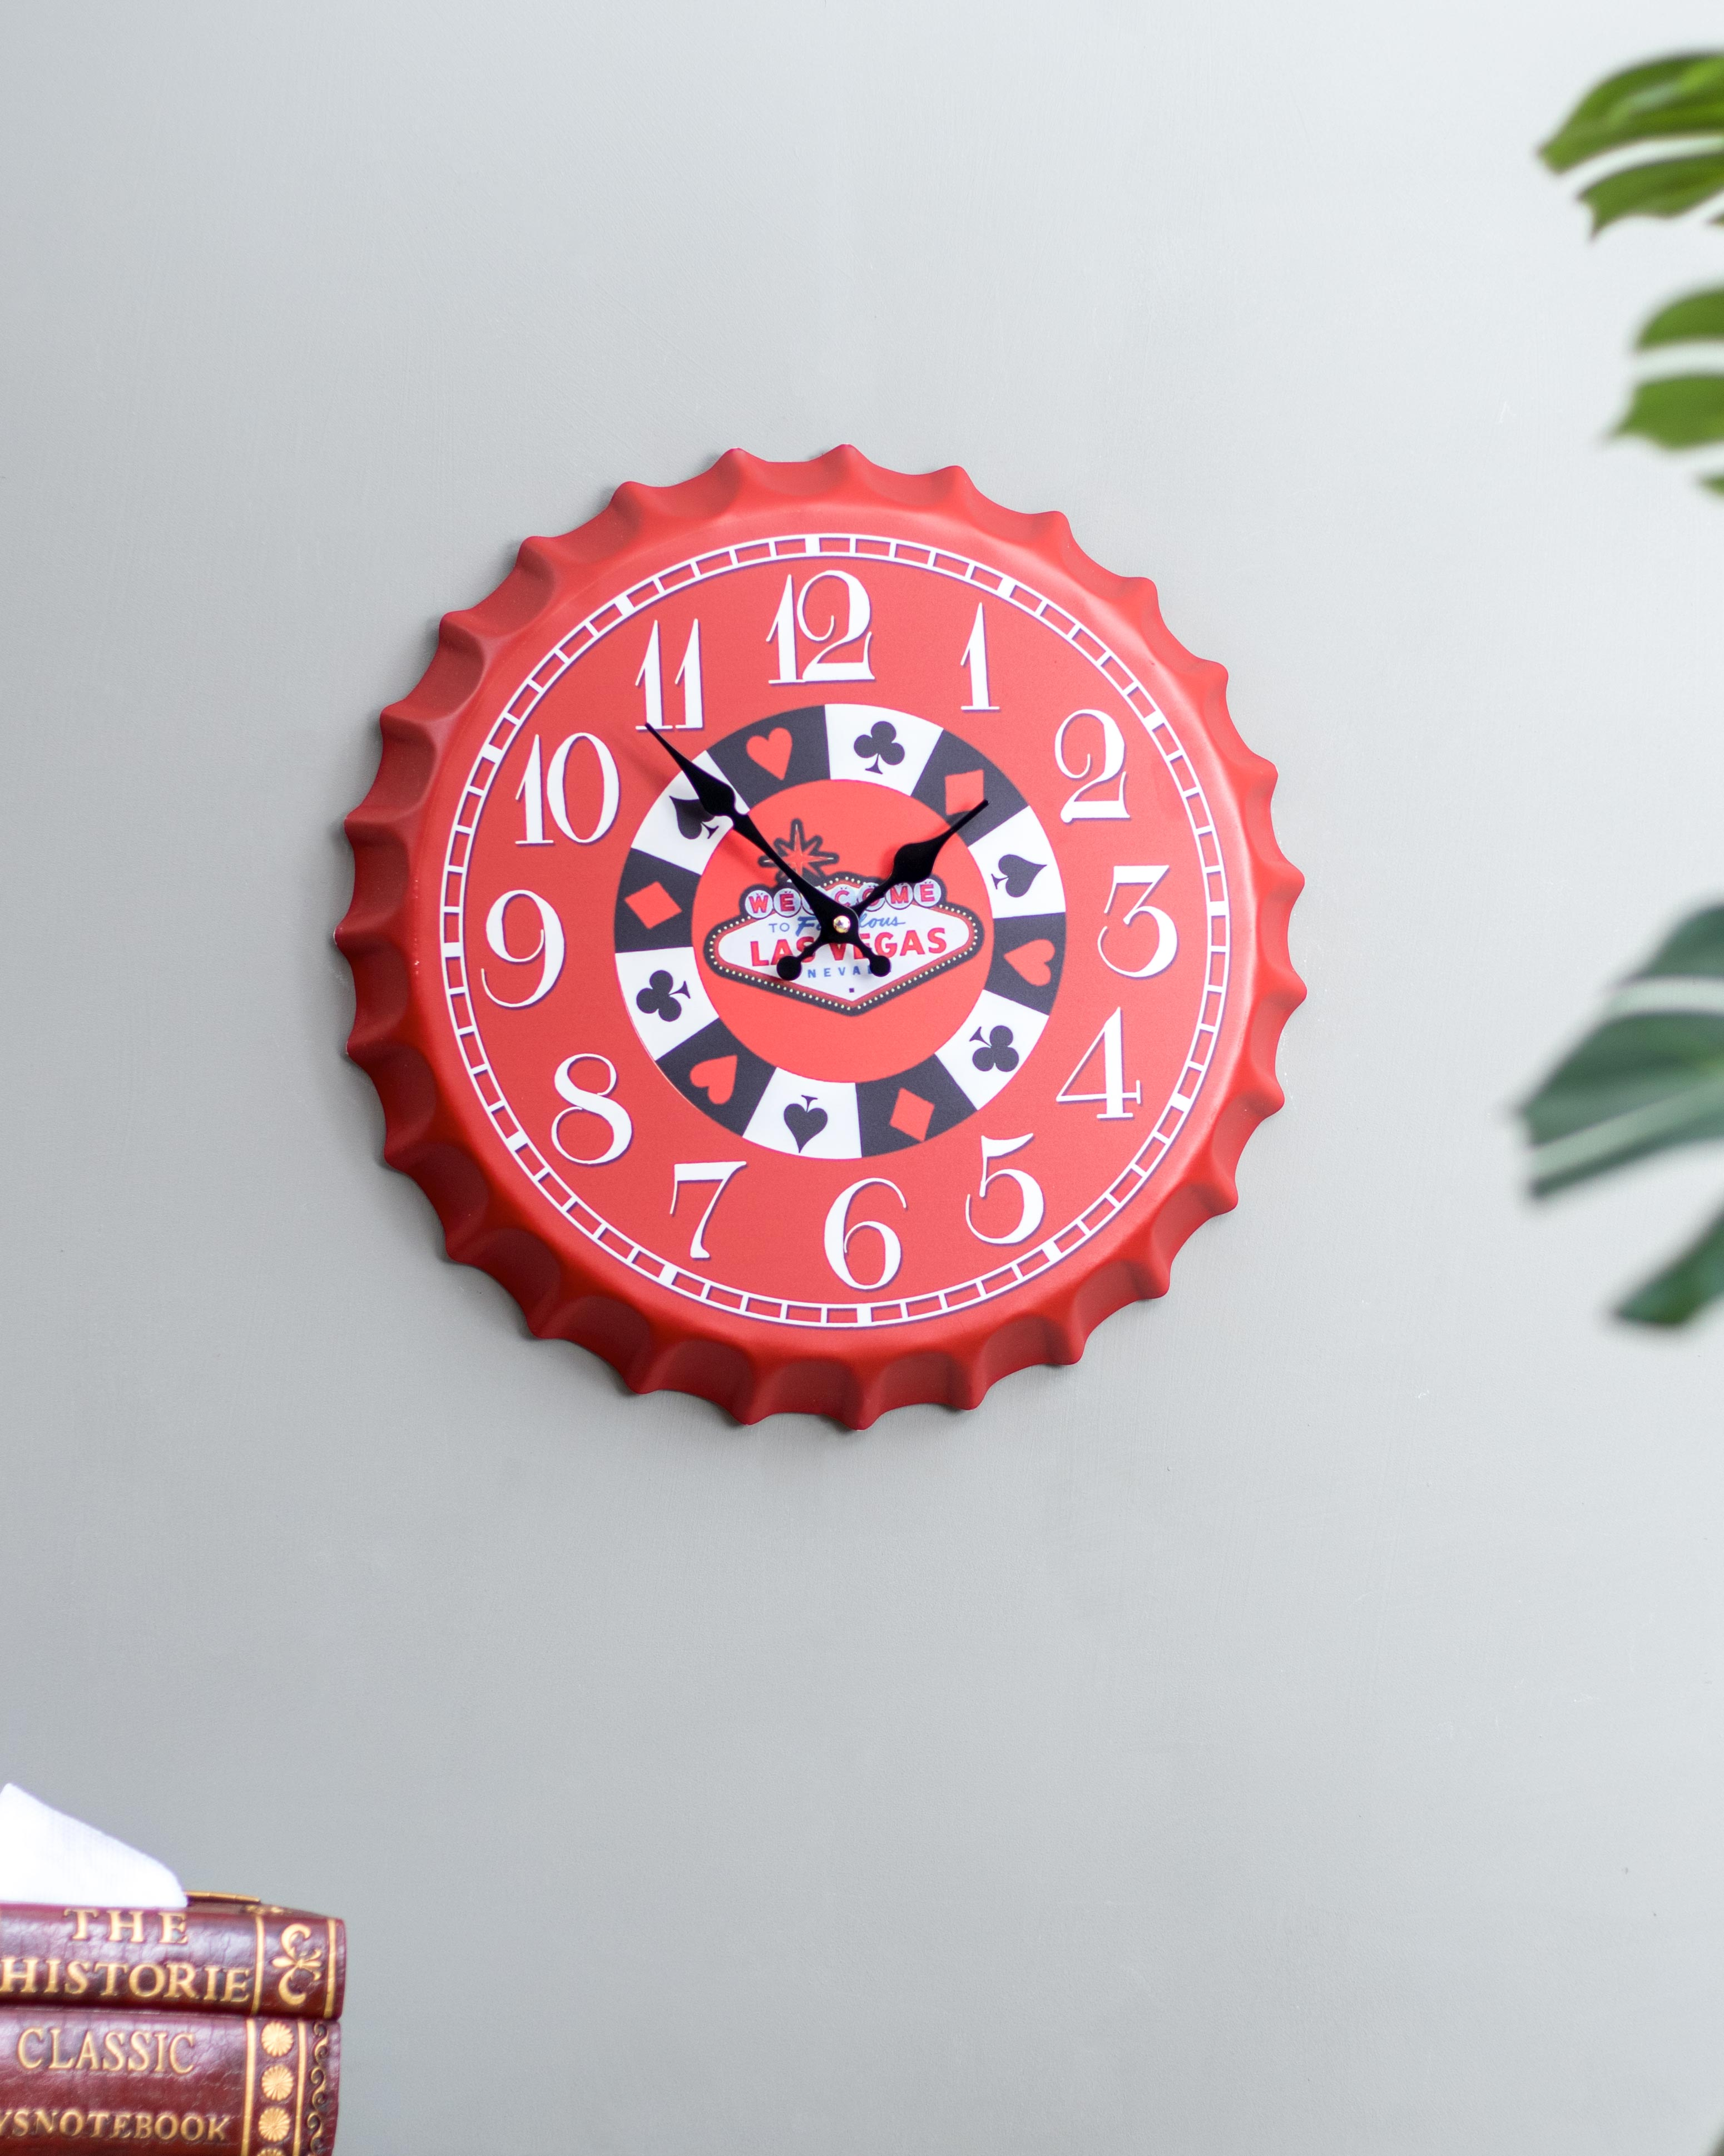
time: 1:53
